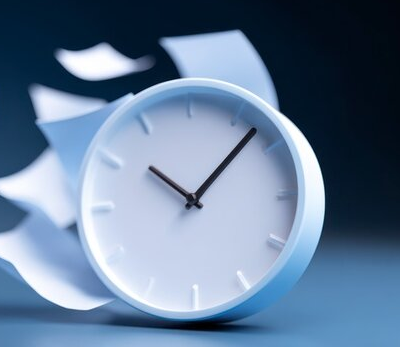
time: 10:07
